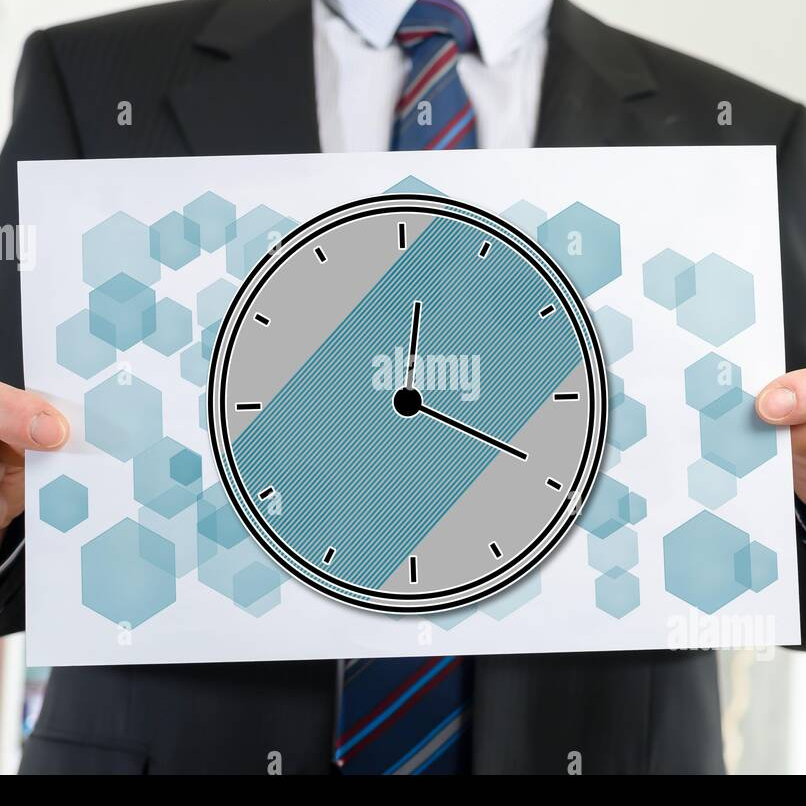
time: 12:19
